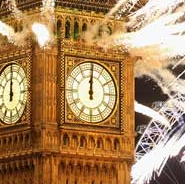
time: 12:00
